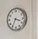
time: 3:35
